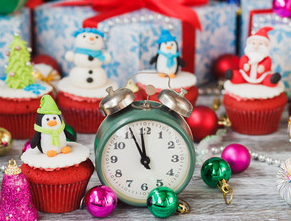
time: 11:55
